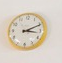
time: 3:10
